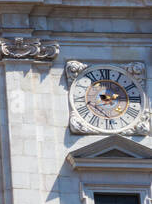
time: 12:14
